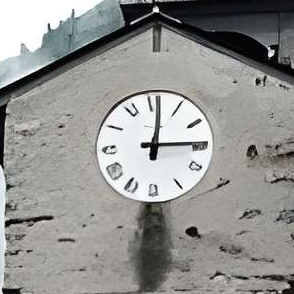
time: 12:14
